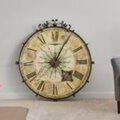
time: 4:04
